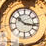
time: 10:16
